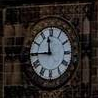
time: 11:44
